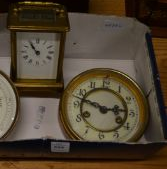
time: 2:47
